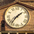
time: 1:36
